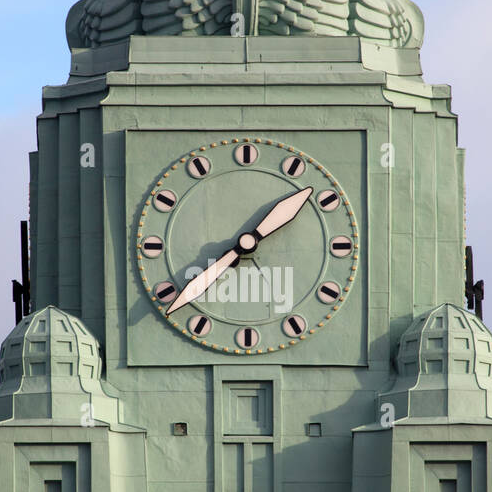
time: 1:39
